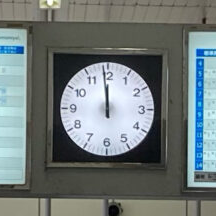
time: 11:58
